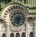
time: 5:38
